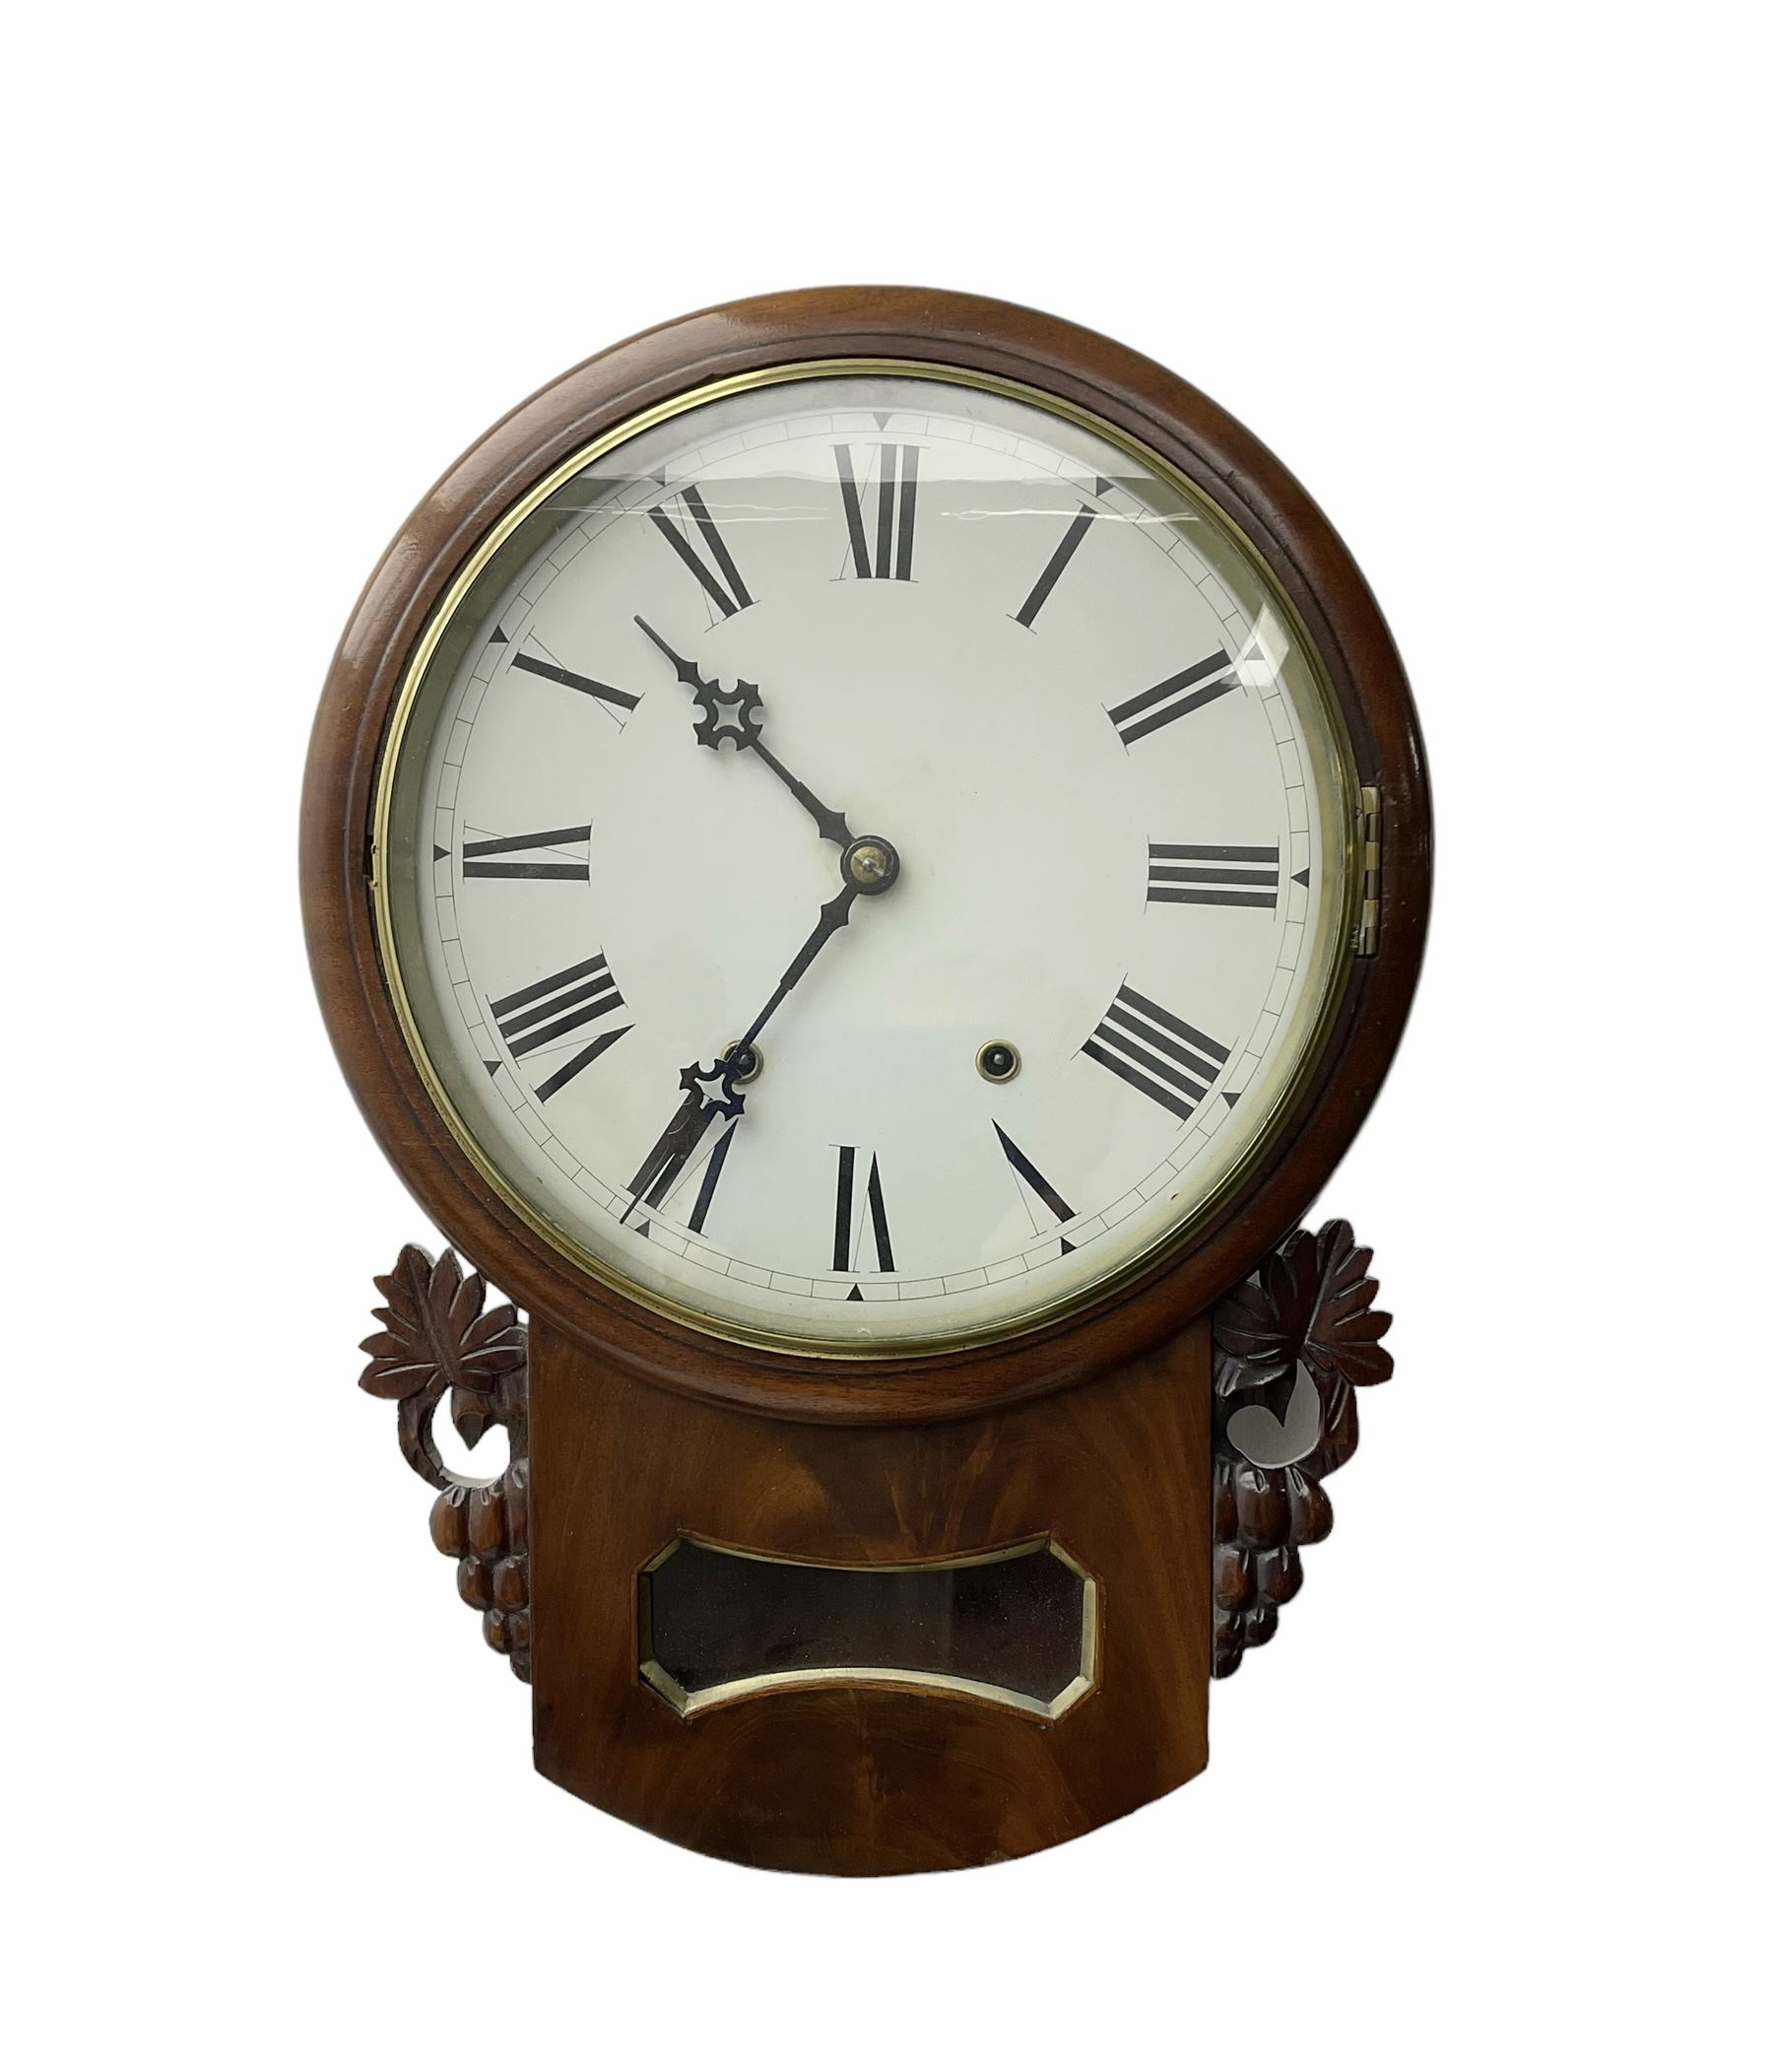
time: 10:35
